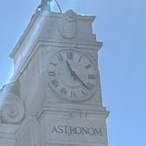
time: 11:22
